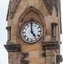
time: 4:59
